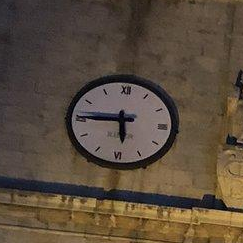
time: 5:45
